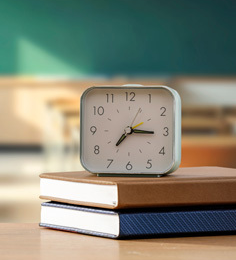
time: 7:15
